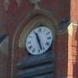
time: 11:27
